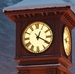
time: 4:04
